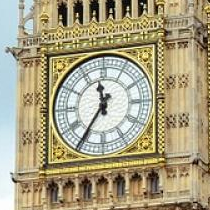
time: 11:35
